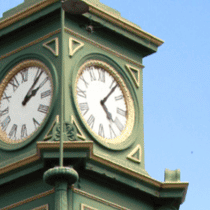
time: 4:06
